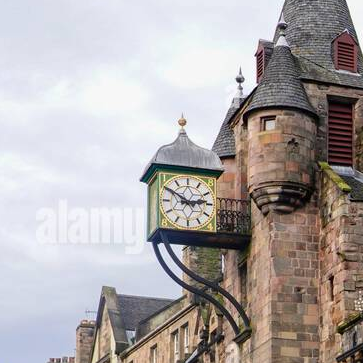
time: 2:50
